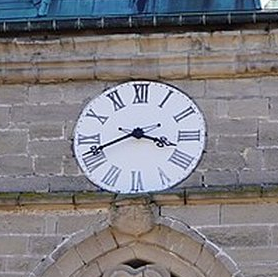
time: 3:41
